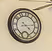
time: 4:13
